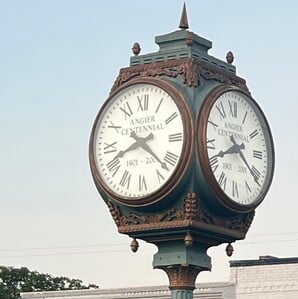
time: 8:21
